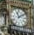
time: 11:09
